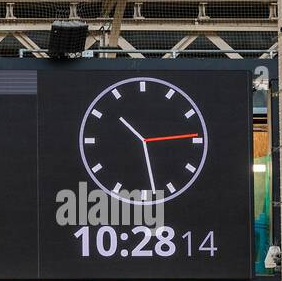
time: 10:28
